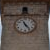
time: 11:24
